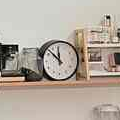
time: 11:52
